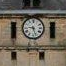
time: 9:27
